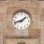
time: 1:42
